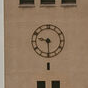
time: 9:29
